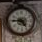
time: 4:45
